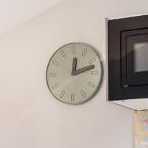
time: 12:12
